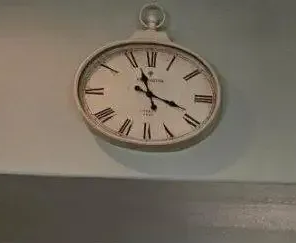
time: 11:18
